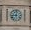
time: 9:01
